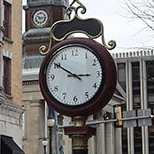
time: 2:50
